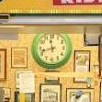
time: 11:42
